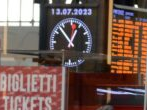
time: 12:52
